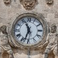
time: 11:33
